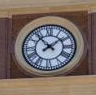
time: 1:53
